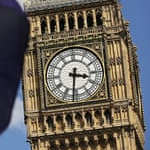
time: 3:31
